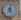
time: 5:01
